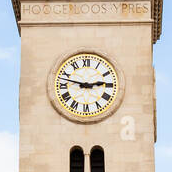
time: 2:47
